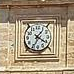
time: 1:20
